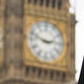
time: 2:48
